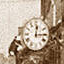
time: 12:14
